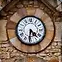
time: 4:31
